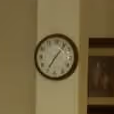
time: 7:06
